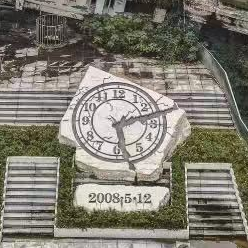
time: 2:28
